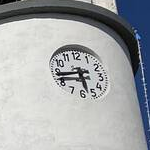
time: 5:43
